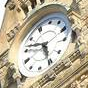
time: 4:46
